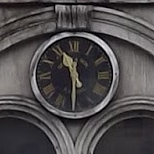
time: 11:30
